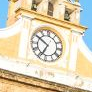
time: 6:50
